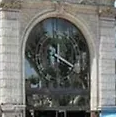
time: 12:19
